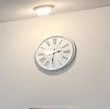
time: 2:31
